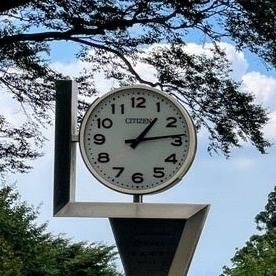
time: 1:13
